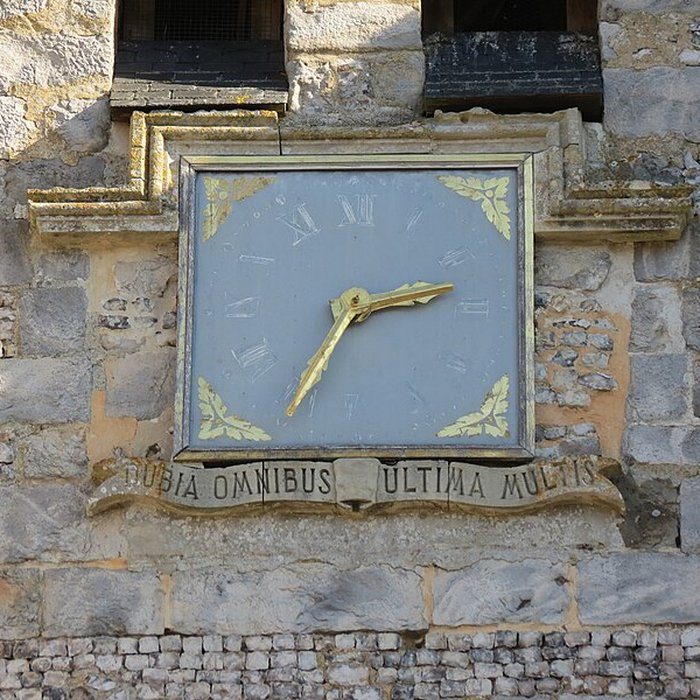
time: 2:34
